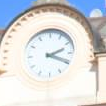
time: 2:19
